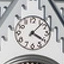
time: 4:07
